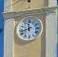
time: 11:42
